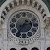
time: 2:35
